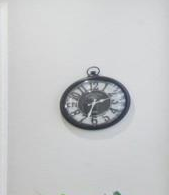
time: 2:33
